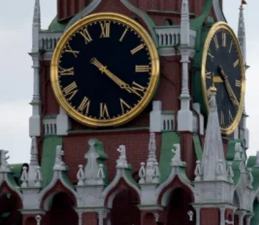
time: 4:20
